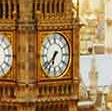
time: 6:37
